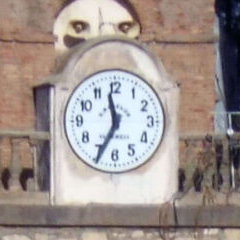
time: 11:34
